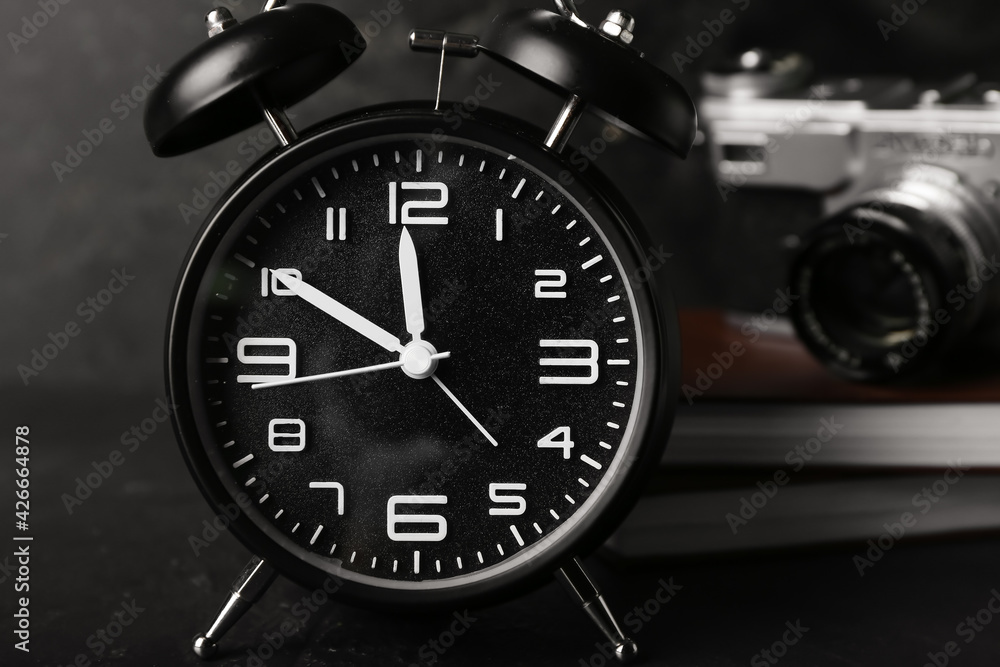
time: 11:50
